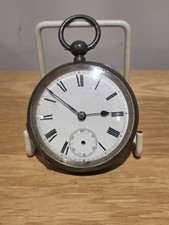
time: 2:51
